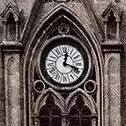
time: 12:18
